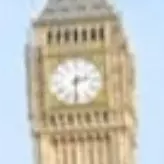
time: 2:31
